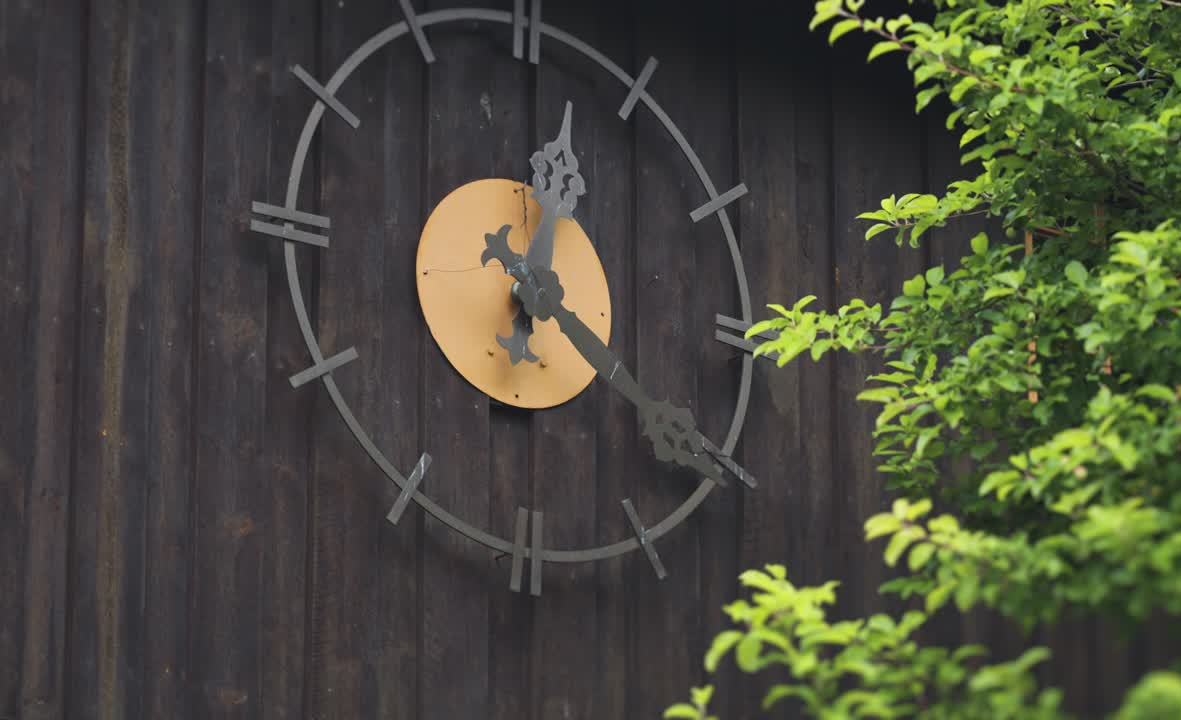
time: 12:21
